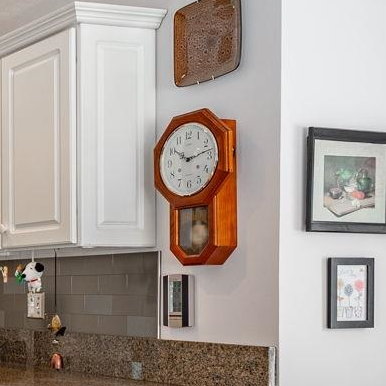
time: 10:12
